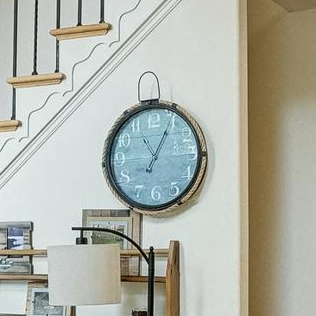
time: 11:05
